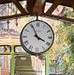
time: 3:55
